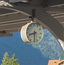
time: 8:29
